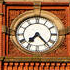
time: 7:23
